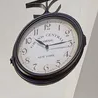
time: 10:14
